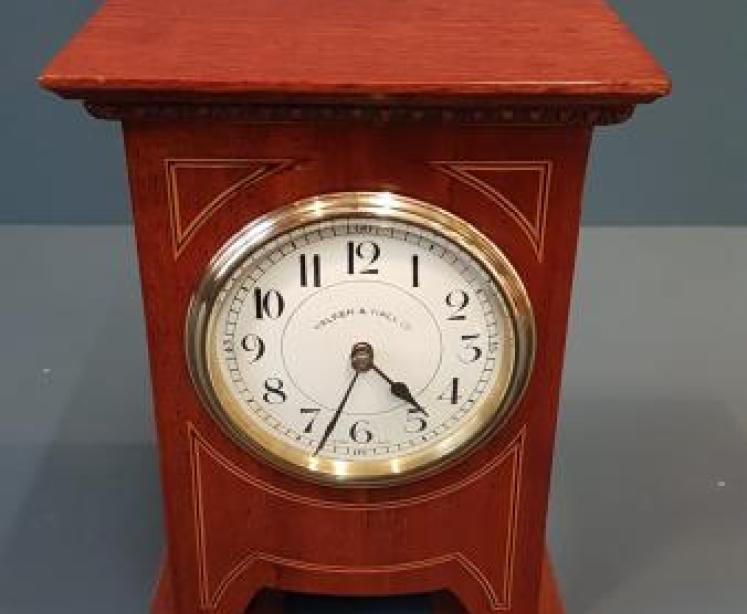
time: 4:33
